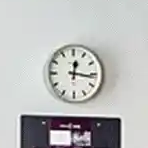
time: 12:16
